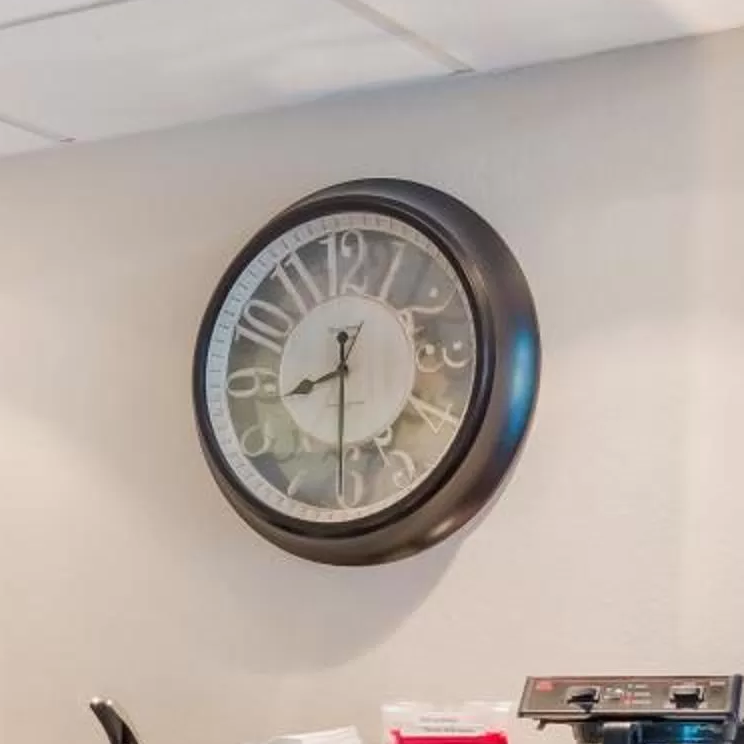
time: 8:30
